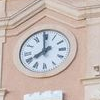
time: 7:59
